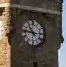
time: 10:46
